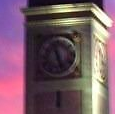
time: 11:26
